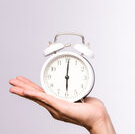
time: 6:00
